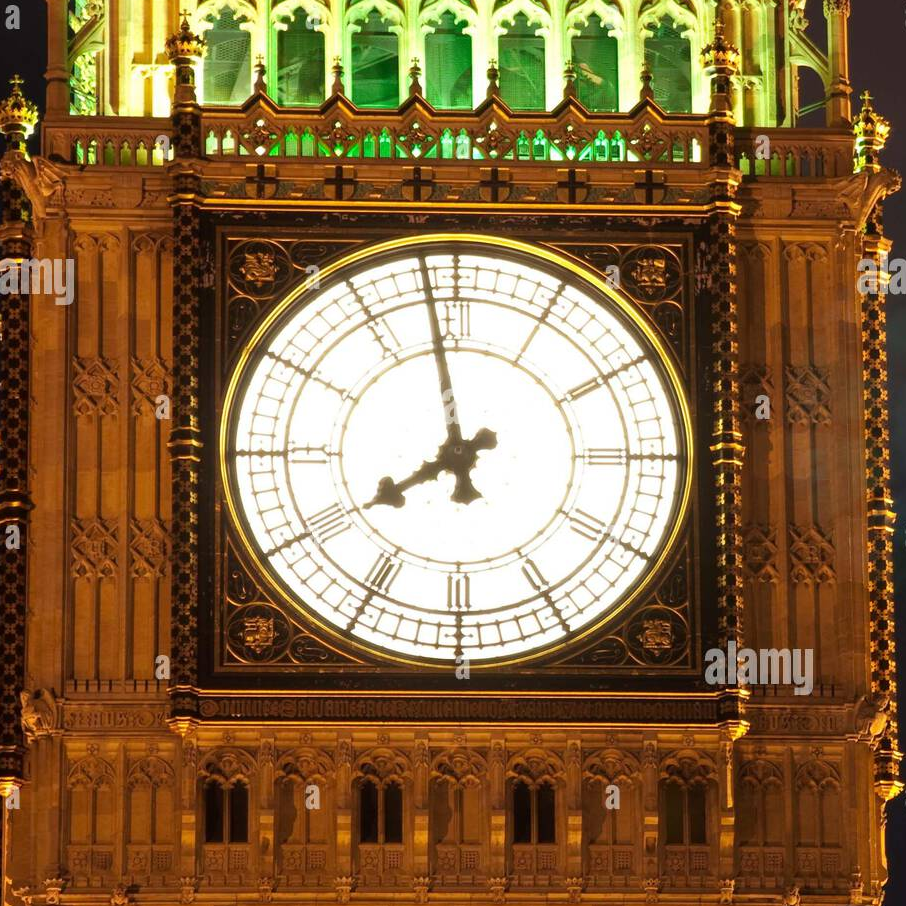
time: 7:58
